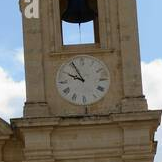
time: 9:55
